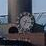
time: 7:15
